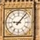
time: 9:07
